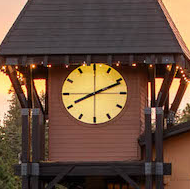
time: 8:11
